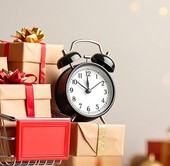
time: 11:51
